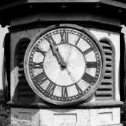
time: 10:55
